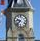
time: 9:38
